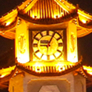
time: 9:04
